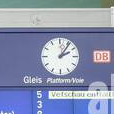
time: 2:06
